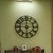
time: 5:59
